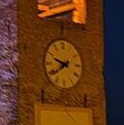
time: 9:39
